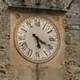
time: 5:20
